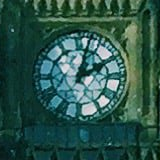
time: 2:02
